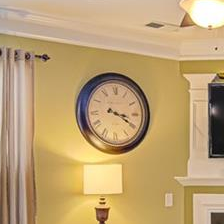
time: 3:19
